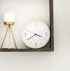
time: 3:39
